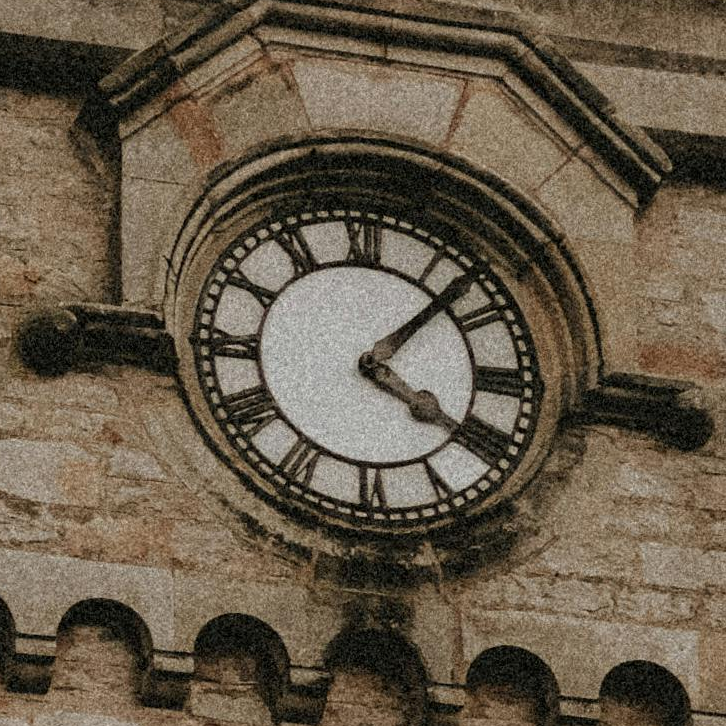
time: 4:07
